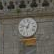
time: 12:47
